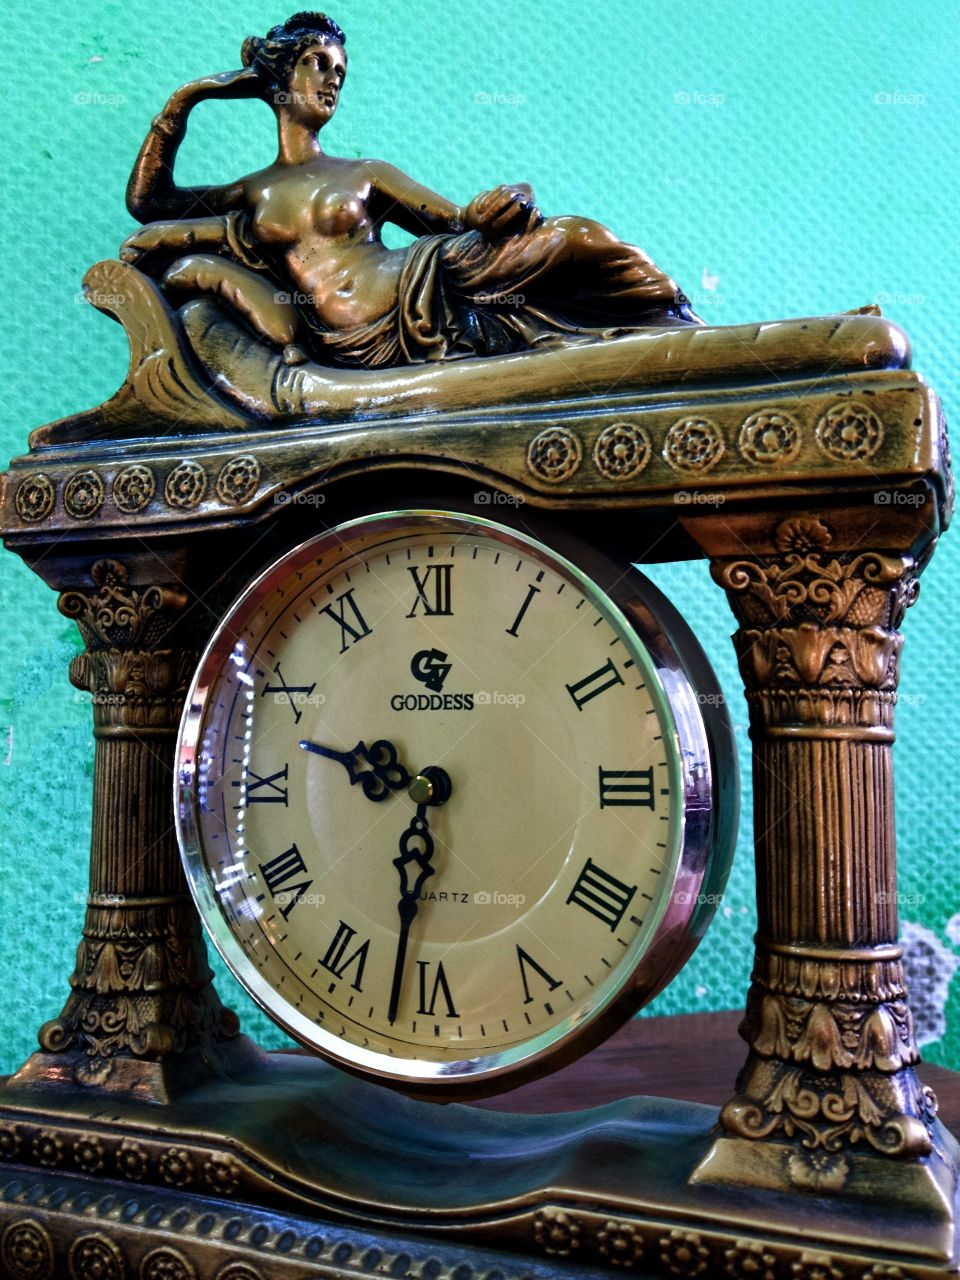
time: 9:31
